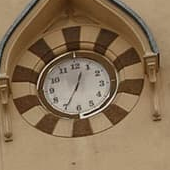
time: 12:34
